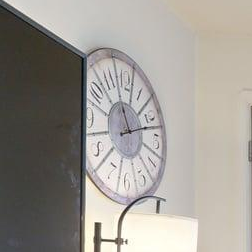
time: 11:12
